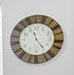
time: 11:23
